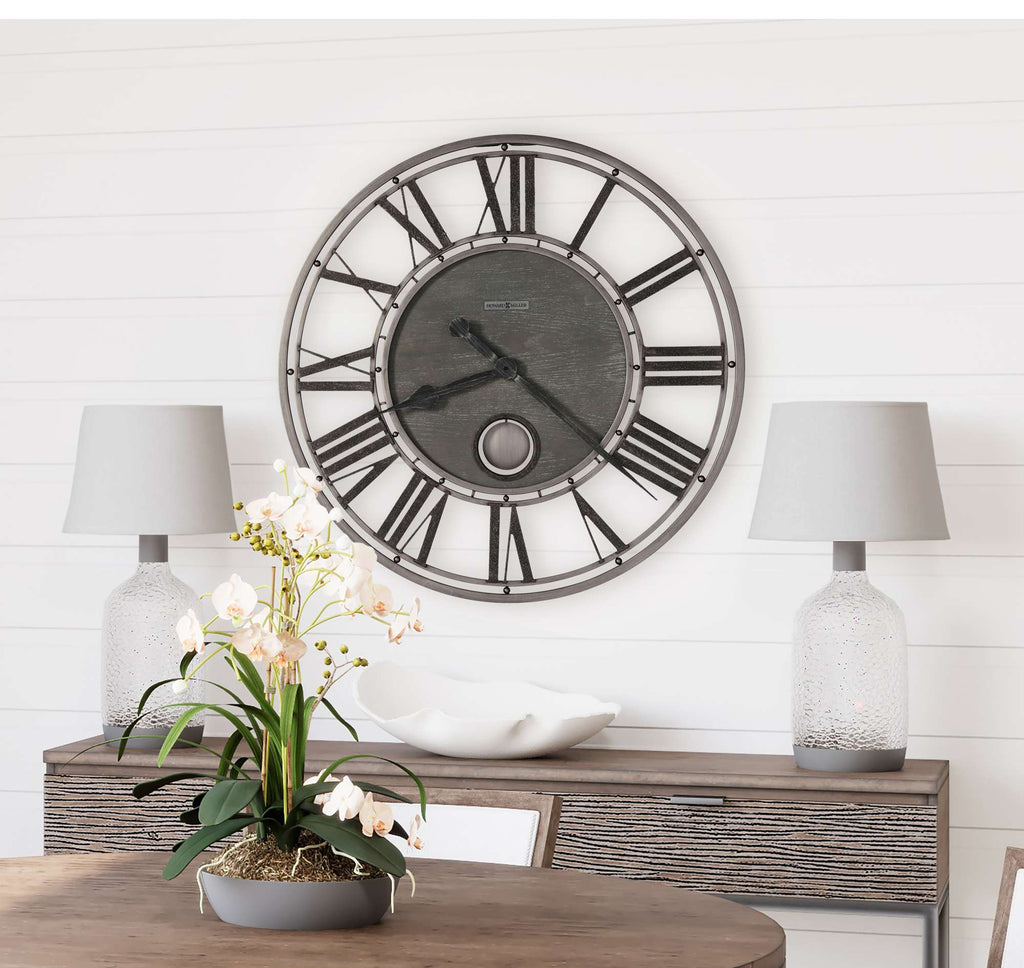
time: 8:21
